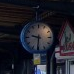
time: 9:31
